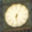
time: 6:05
